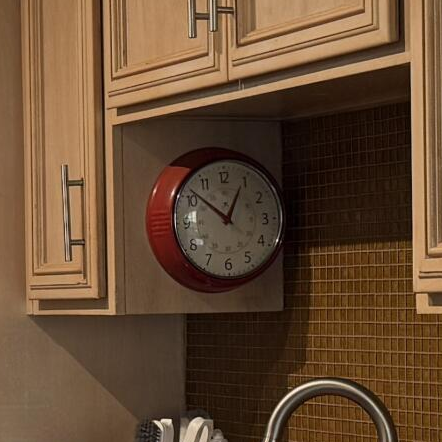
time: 12:51
